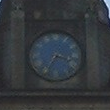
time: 3:35
